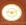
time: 9:12
